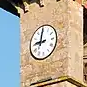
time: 8:59
